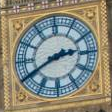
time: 2:40
